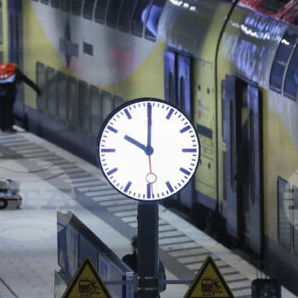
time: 10:00
